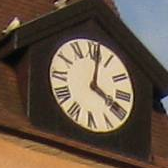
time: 4:01
